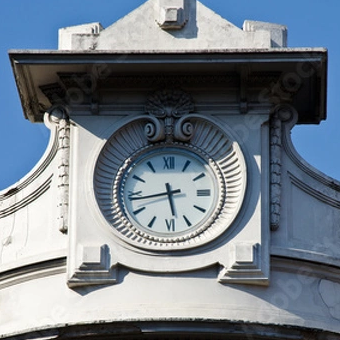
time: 5:43
